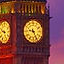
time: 9:25
